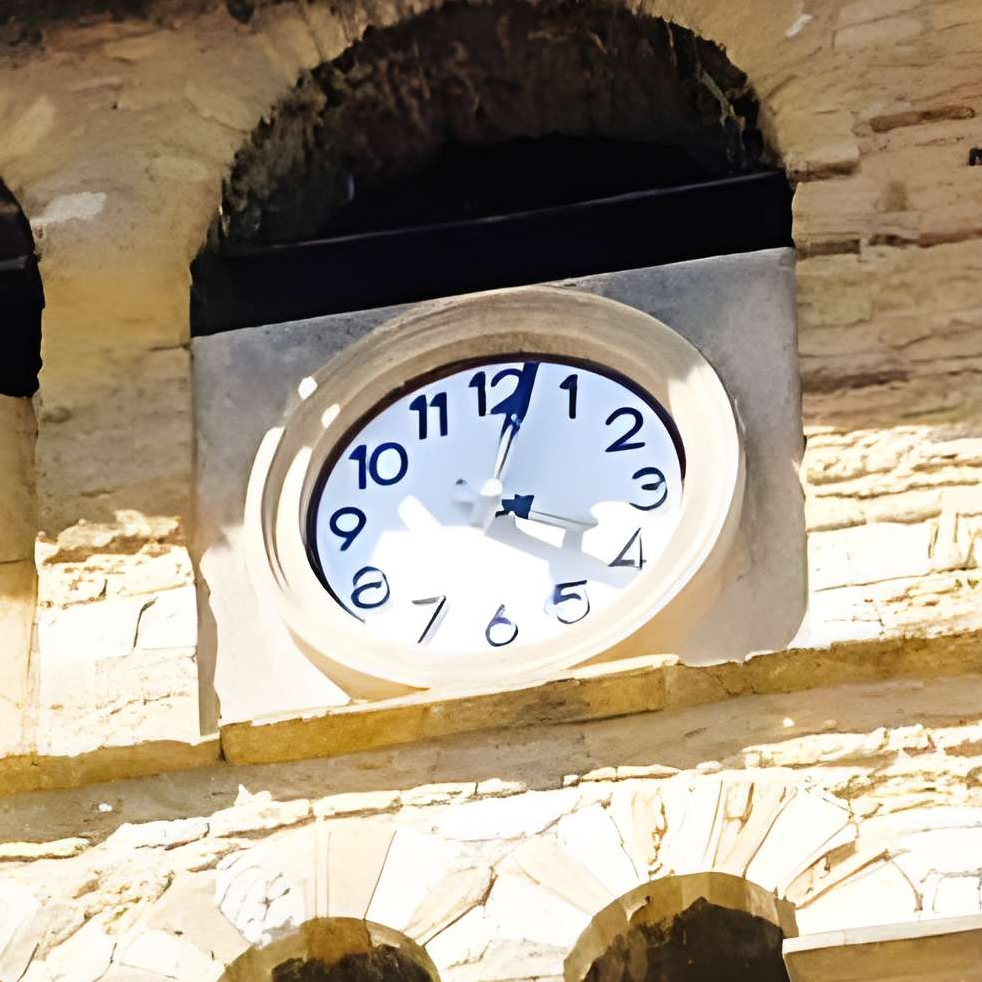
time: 4:02
